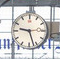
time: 9:27
